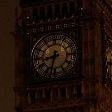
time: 8:32
